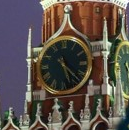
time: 5:23
